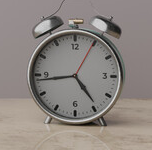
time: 4:43
